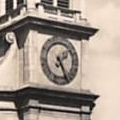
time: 1:24
